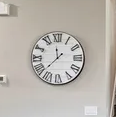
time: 11:37
